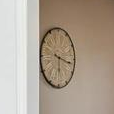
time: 6:16
